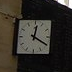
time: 12:19
